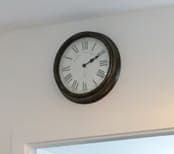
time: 2:10
